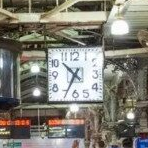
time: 10:34
